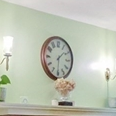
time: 1:30
